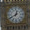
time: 12:40
